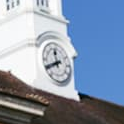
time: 11:40
